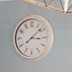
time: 3:08
